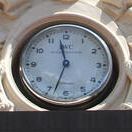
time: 11:33
